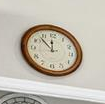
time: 11:52
